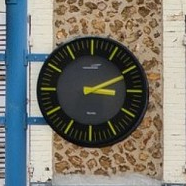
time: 3:10
